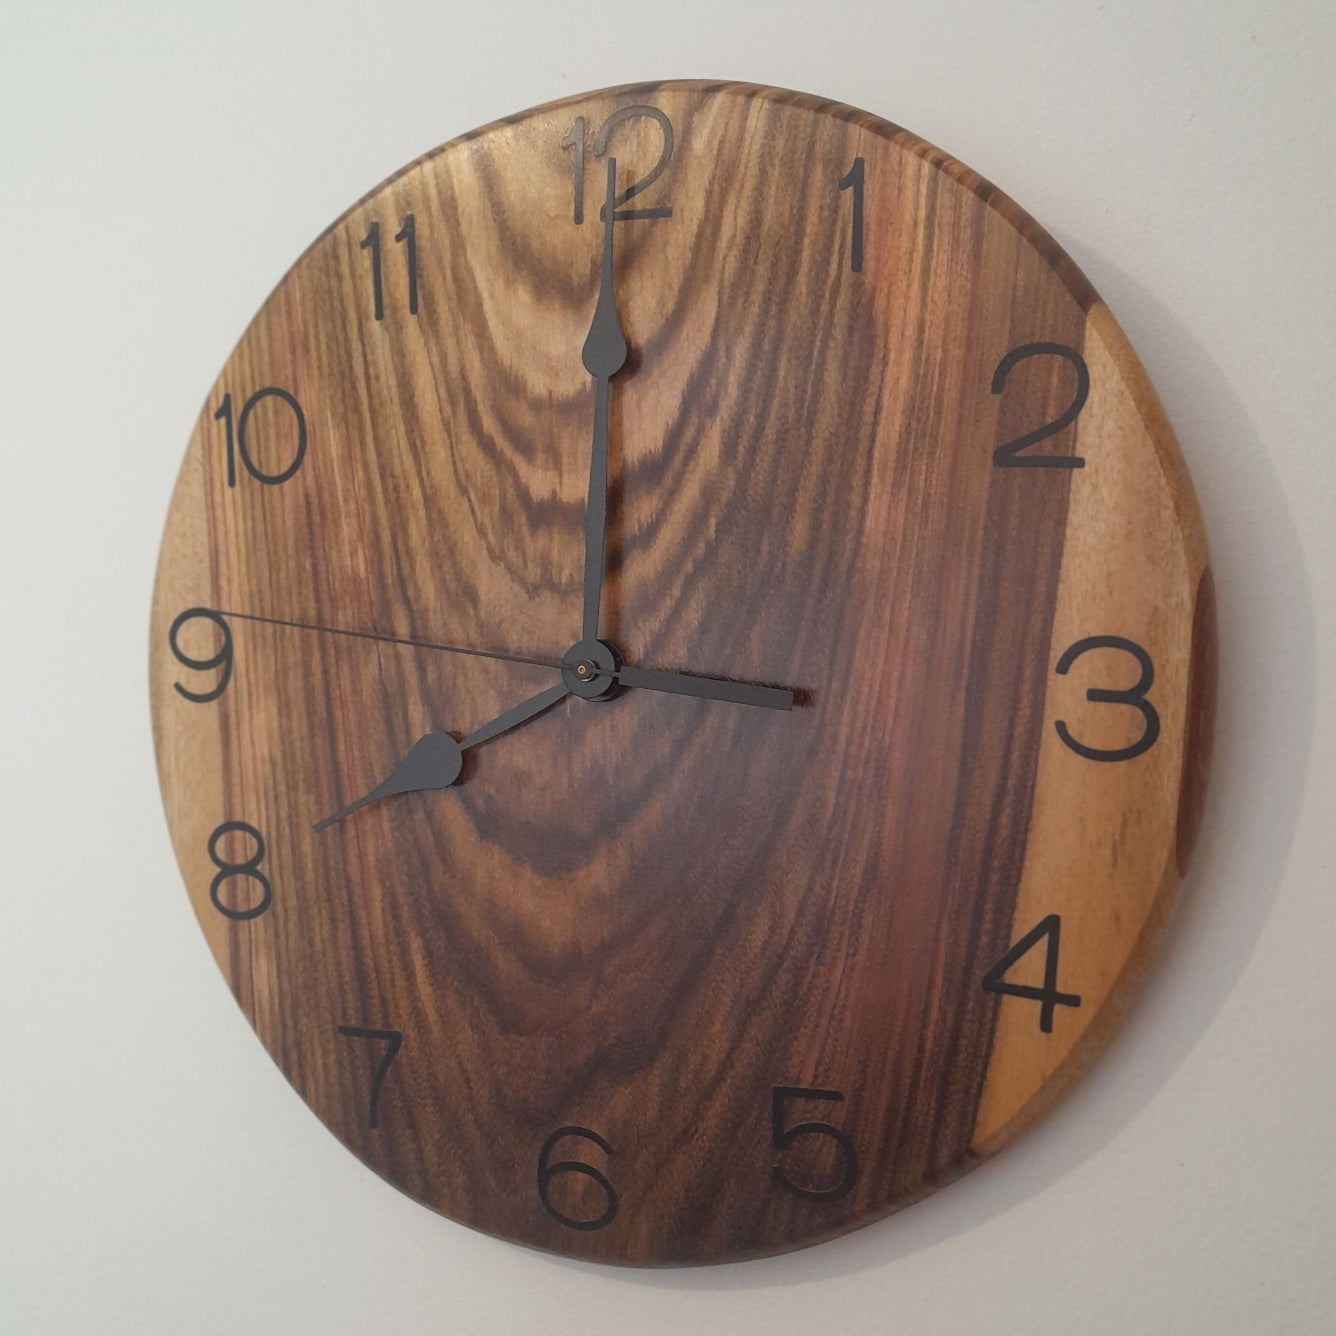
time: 8:00
